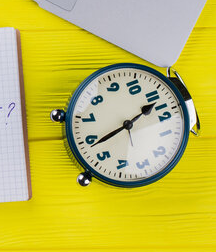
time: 1:38
